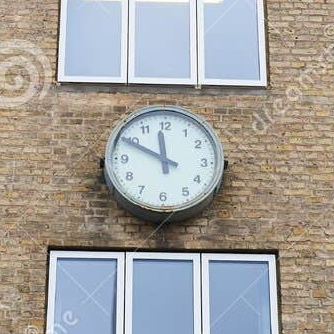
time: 11:49
